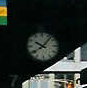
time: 10:07
